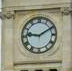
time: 9:10
